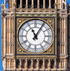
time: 11:05
